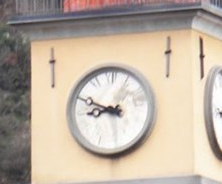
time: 8:49
